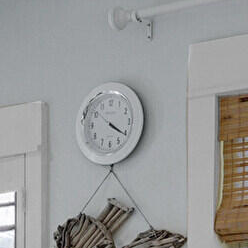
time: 4:20
